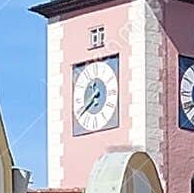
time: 7:39
